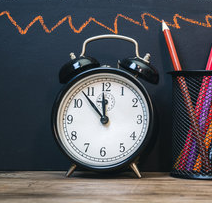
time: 11:53
